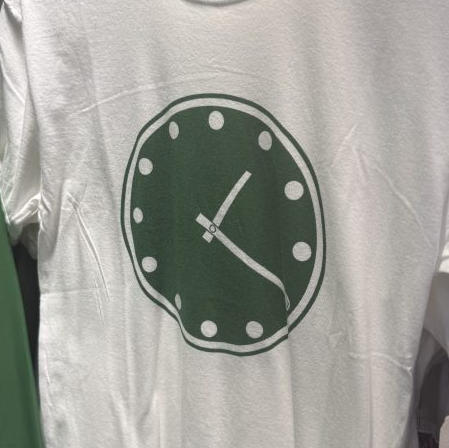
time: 1:19
